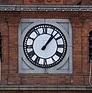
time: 1:07
